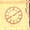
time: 8:08
